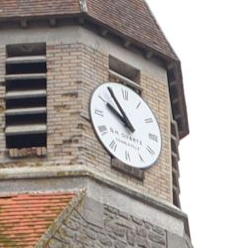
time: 9:54
